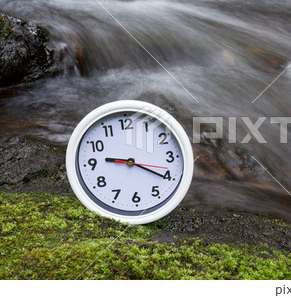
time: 9:20
